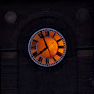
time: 7:56
